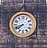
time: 7:41
